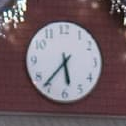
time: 5:36
